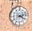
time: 4:12
